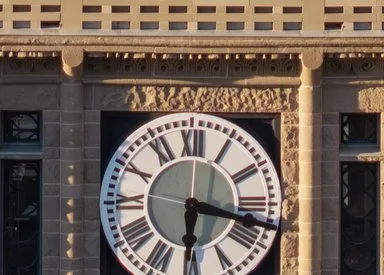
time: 6:17
